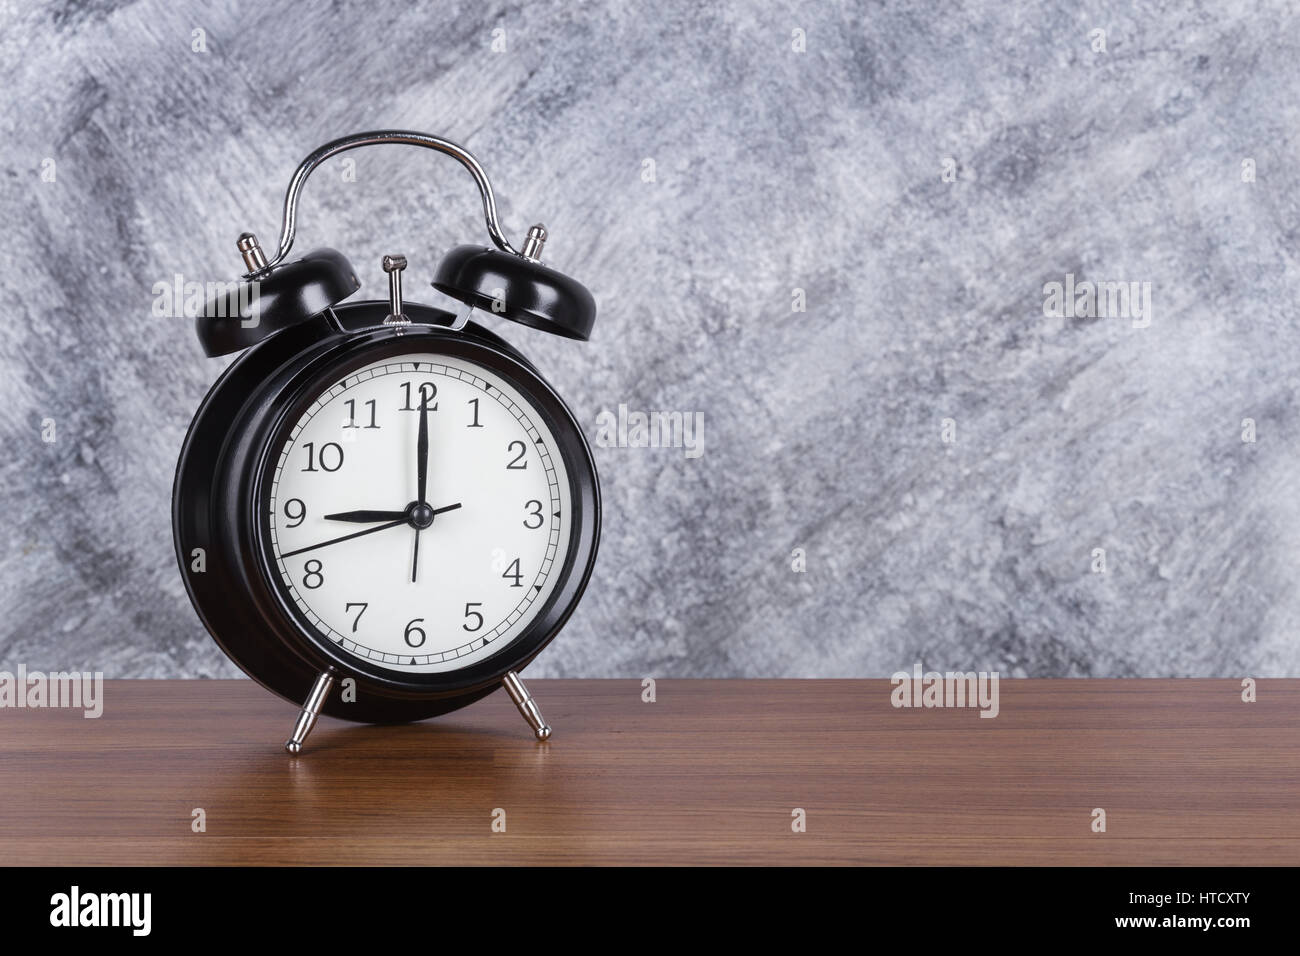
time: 9:00
